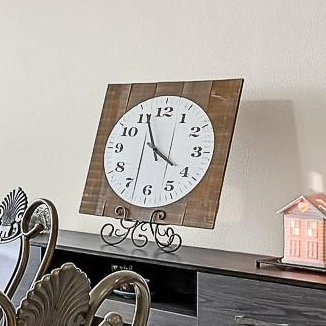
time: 3:55
